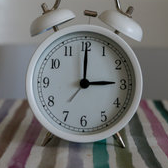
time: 3:00
